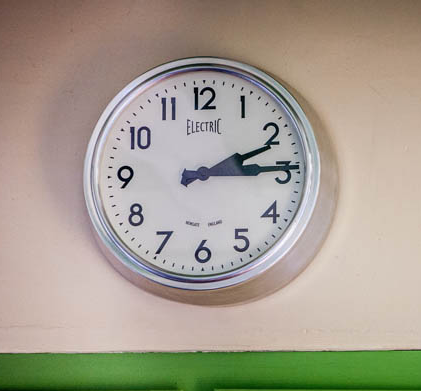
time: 2:14
